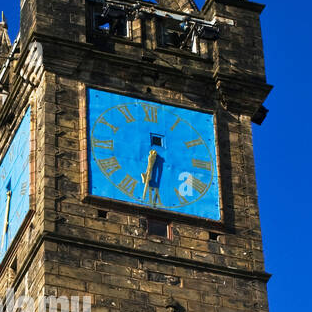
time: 6:32
